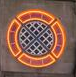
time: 1:37
